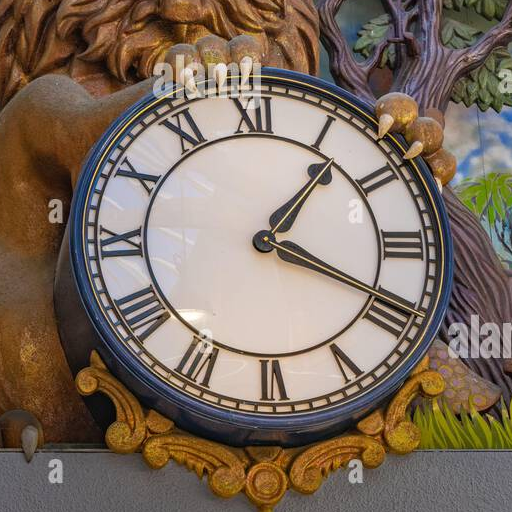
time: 1:19
